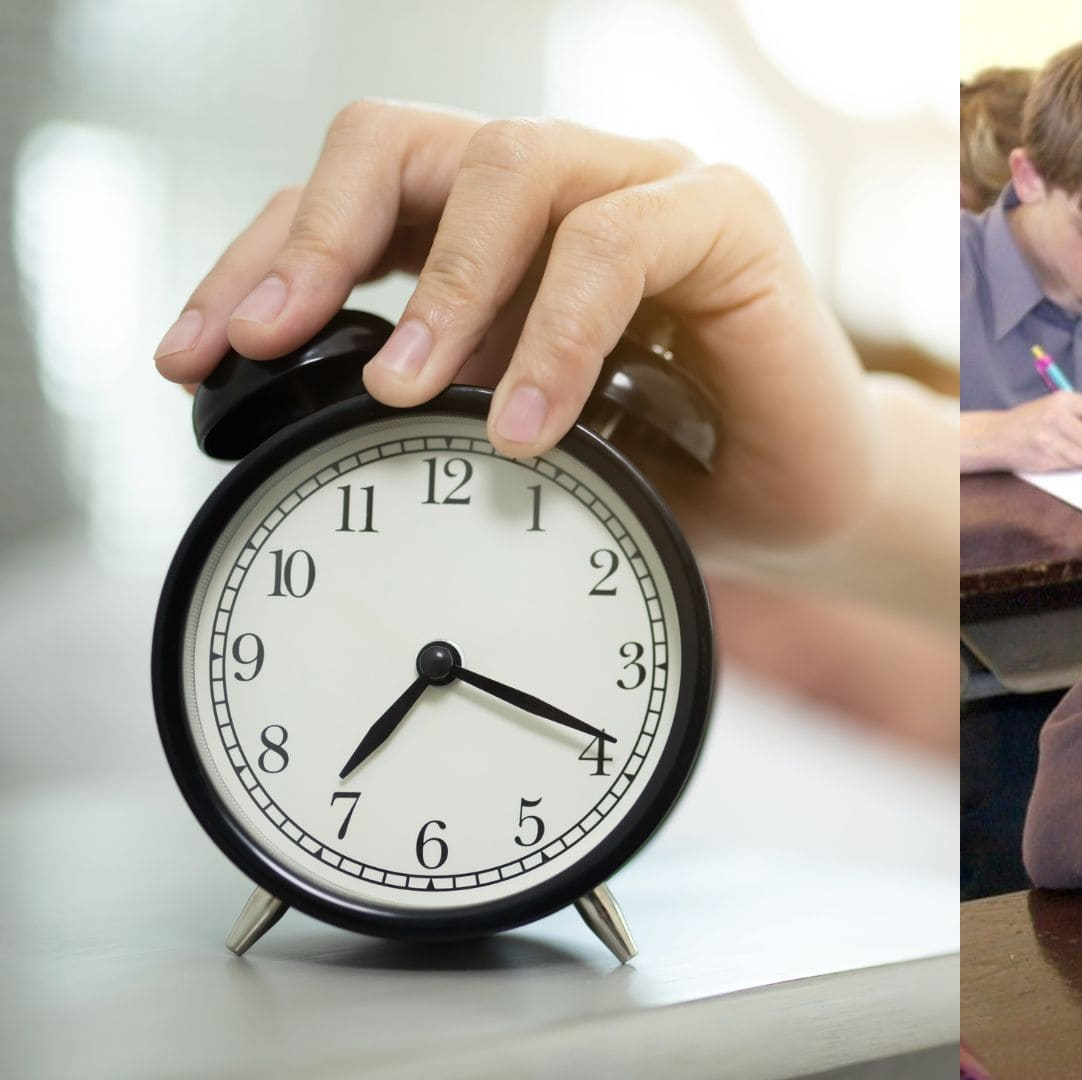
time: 7:18
